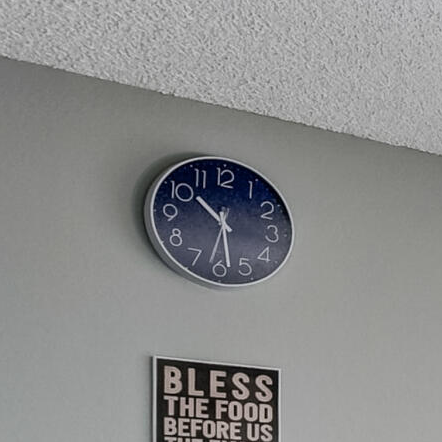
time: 10:28
